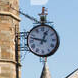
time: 12:47
